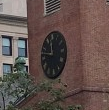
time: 11:46
